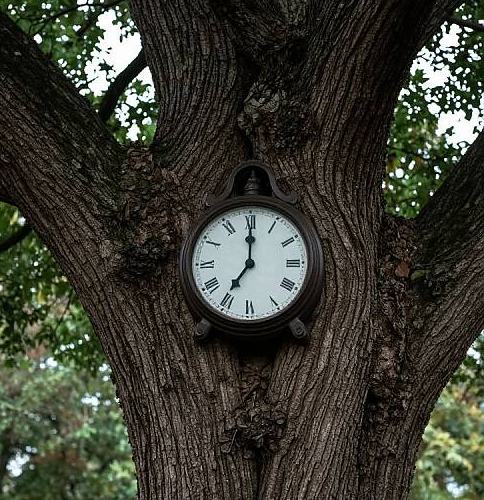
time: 7:00
